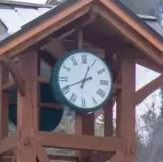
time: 12:41
